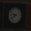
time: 9:39
